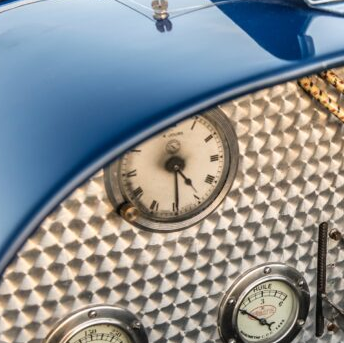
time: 4:29
